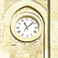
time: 11:07
